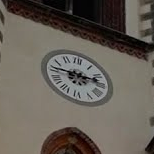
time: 9:12
